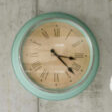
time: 3:22
